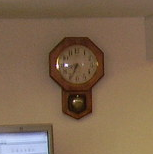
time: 8:33
